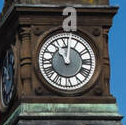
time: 11:02
